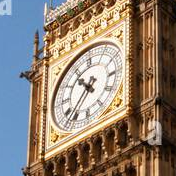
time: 10:37
